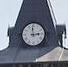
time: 2:58
